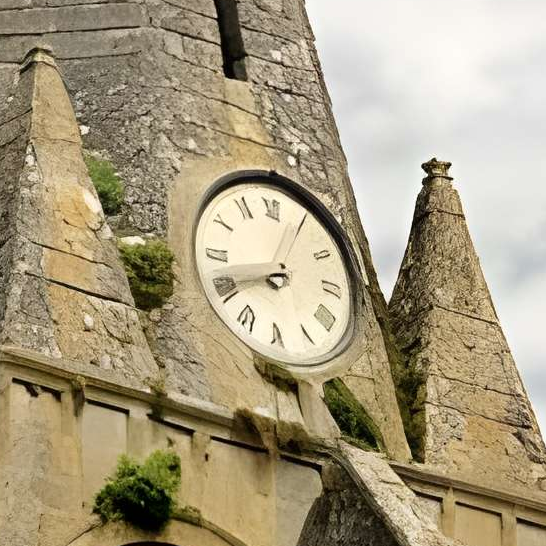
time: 8:04
